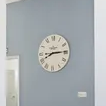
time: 8:14
